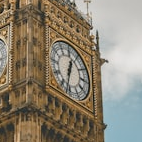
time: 12:32
